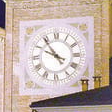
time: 9:54
